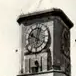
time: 10:02
